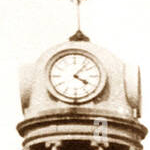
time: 4:07
